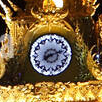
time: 8:12
